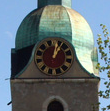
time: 1:02
